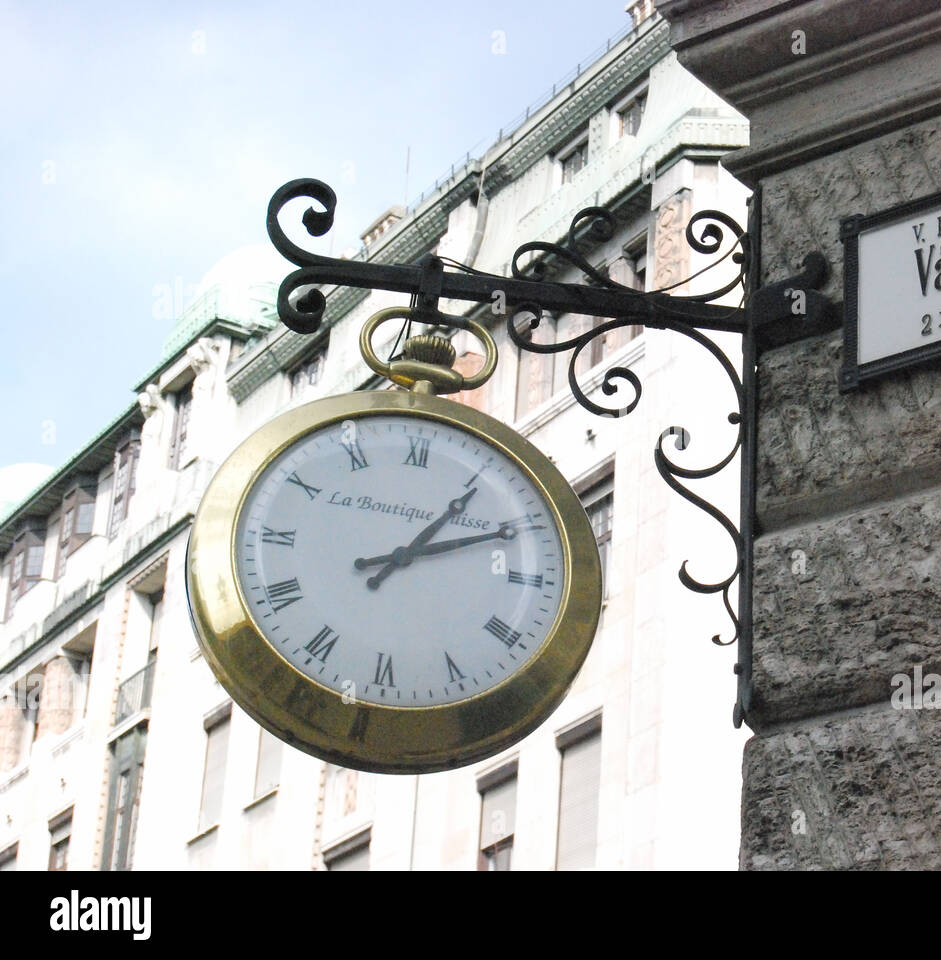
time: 1:10
